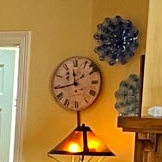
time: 11:43
